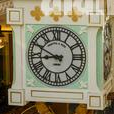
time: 8:49
